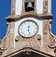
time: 12:27
